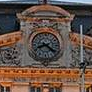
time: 8:21
